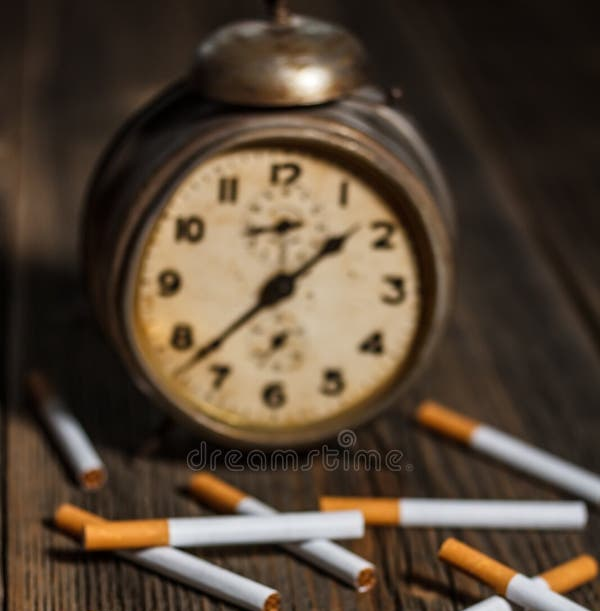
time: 1:37
